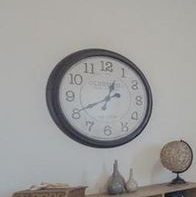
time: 12:40
